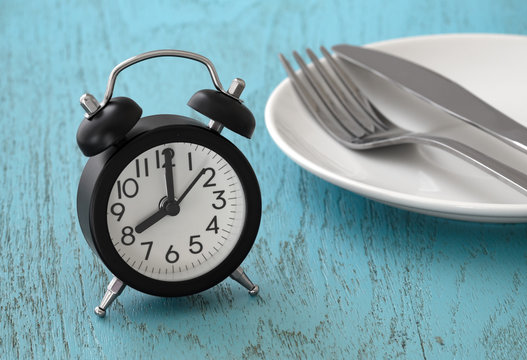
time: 8:00
